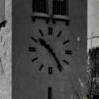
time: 10:24
